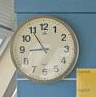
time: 8:54
